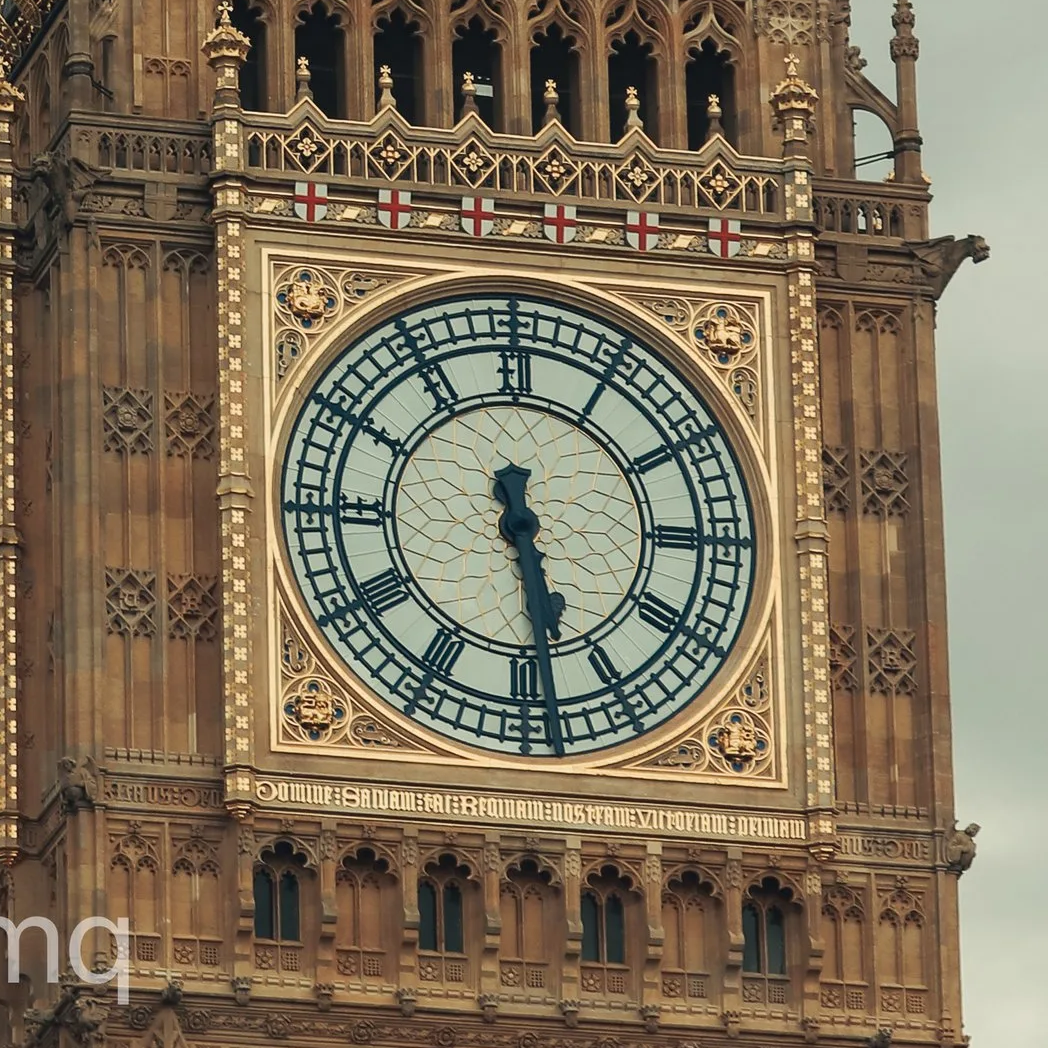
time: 5:28
